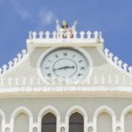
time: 2:42
